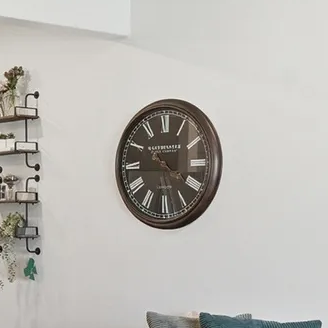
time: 10:20
